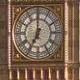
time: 7:00
